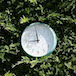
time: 8:58
